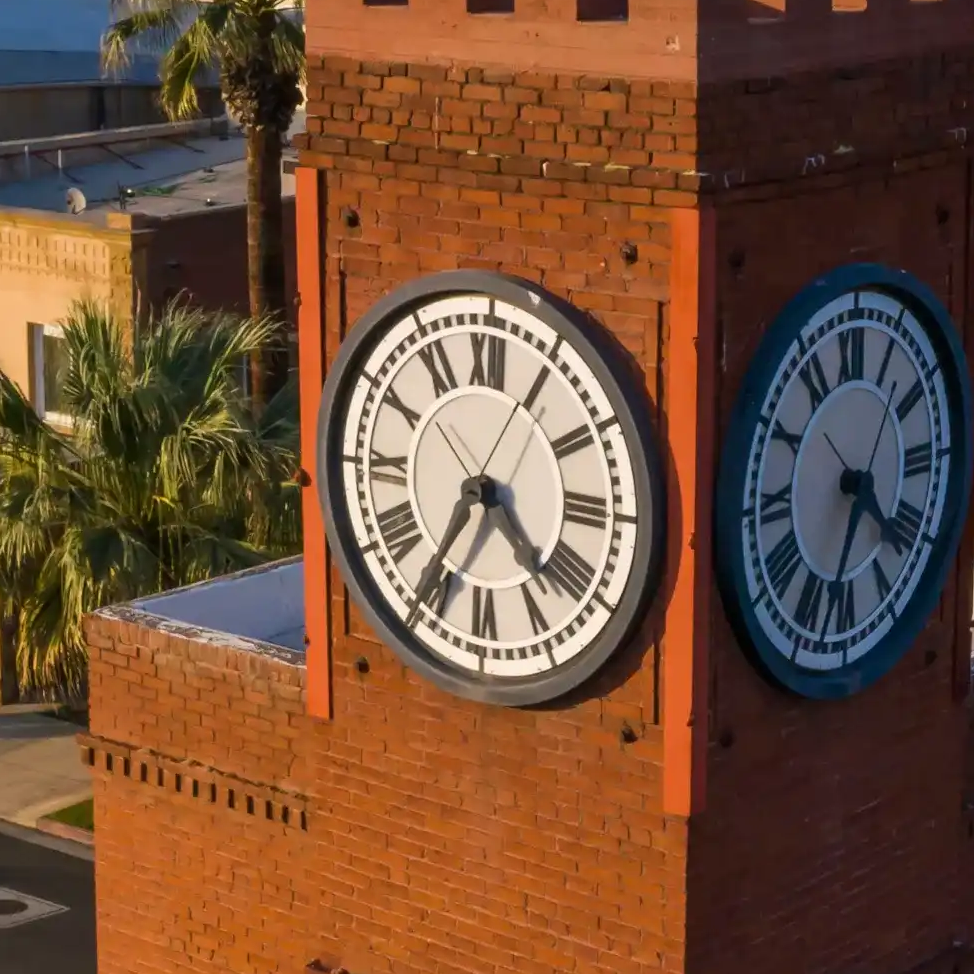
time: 4:35
